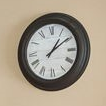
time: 1:09
